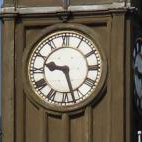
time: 9:27
